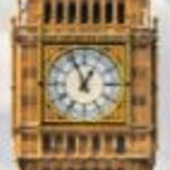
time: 12:56
